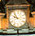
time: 9:53
